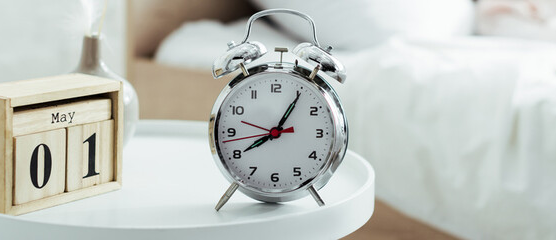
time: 8:05
